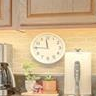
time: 11:45
